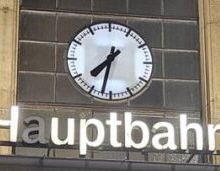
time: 7:32
